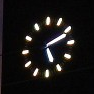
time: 5:11
